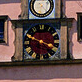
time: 3:48
